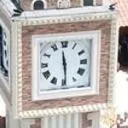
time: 11:29
